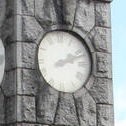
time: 2:11
